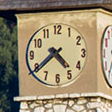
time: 4:38
